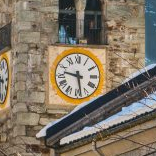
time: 9:28
